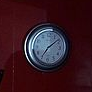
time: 7:08
